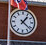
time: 1:21
